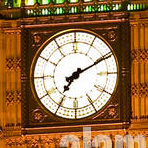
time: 7:10
